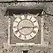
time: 8:15
